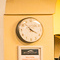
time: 3:52
